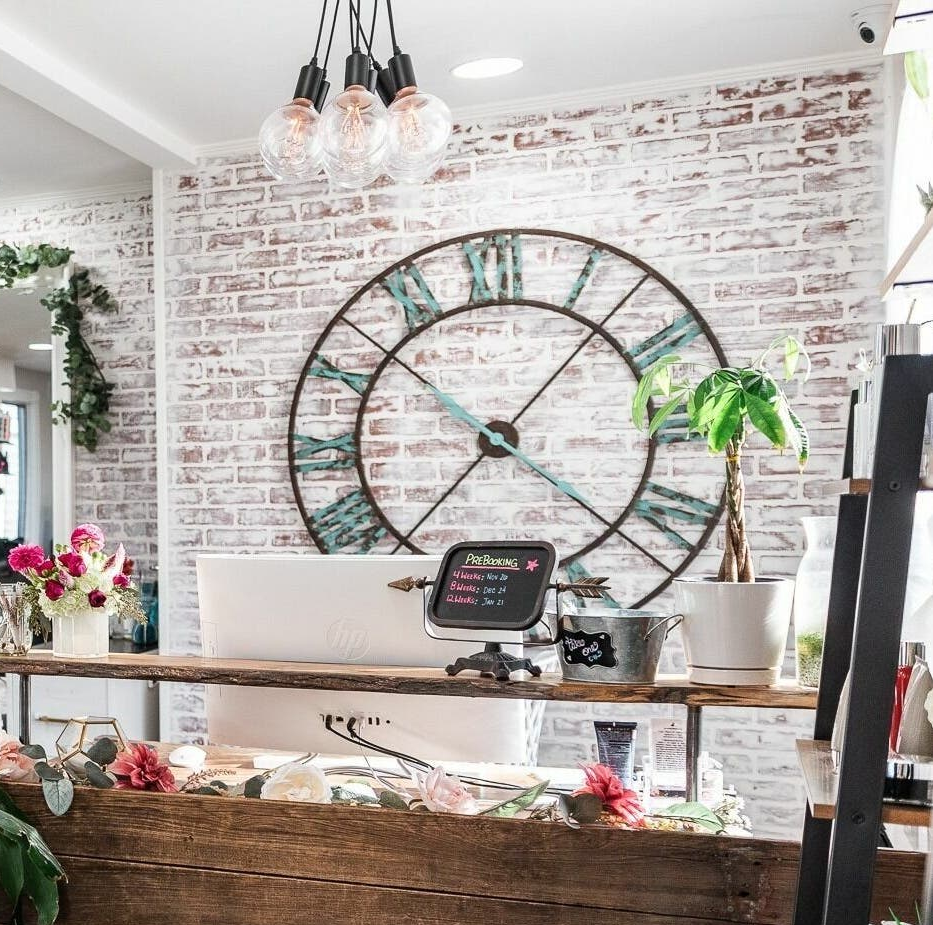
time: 7:07
